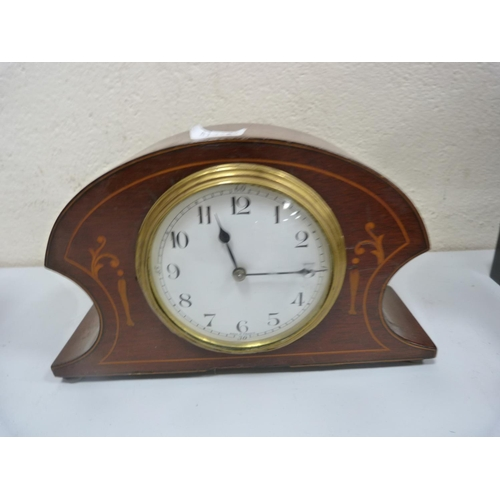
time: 11:15
